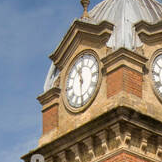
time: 11:29
